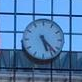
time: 5:22
